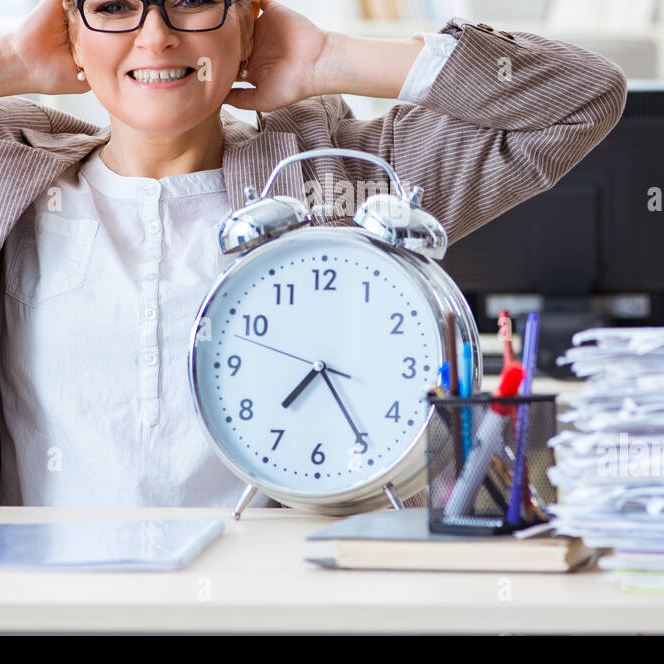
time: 7:24
